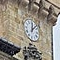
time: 12:07
